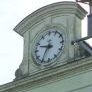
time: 9:35
